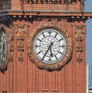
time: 5:35
